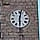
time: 12:29
